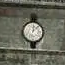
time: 12:07
